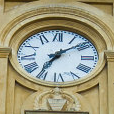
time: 7:08
